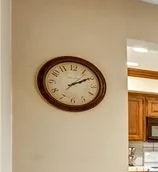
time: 2:09
